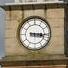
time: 3:15
